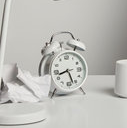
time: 8:26
